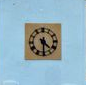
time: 4:30
